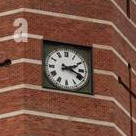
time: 2:18
